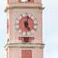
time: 5:01
